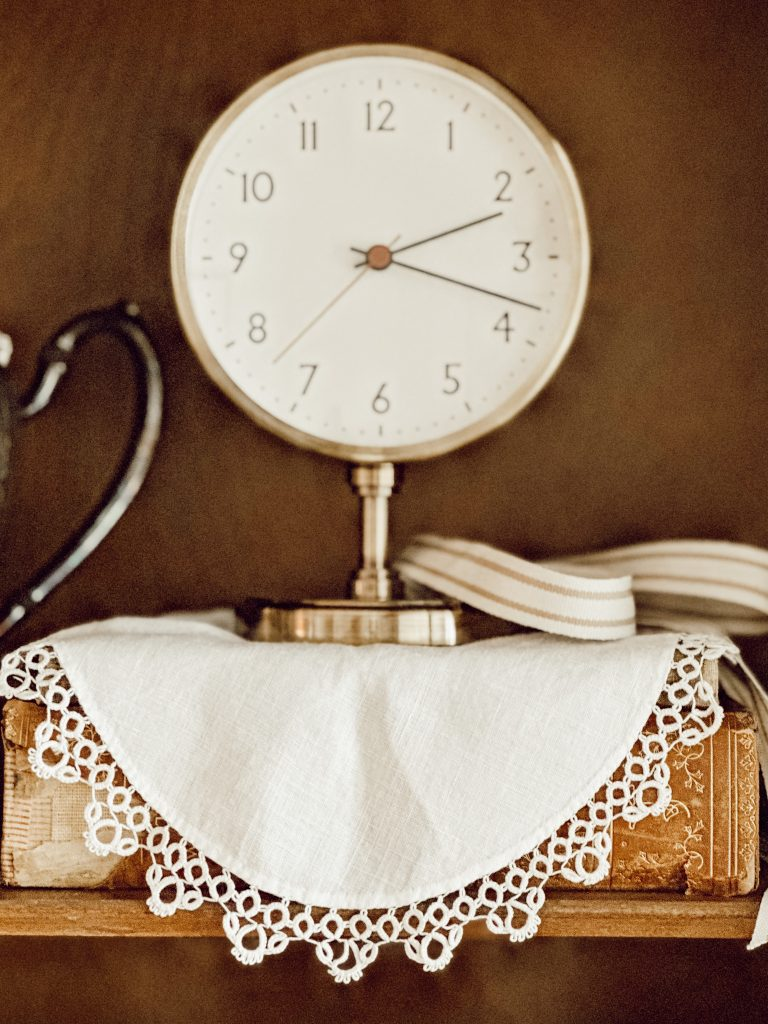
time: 2:18
